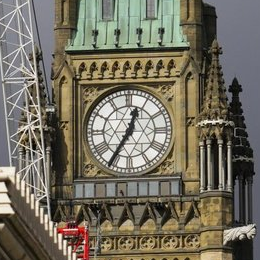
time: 12:35
